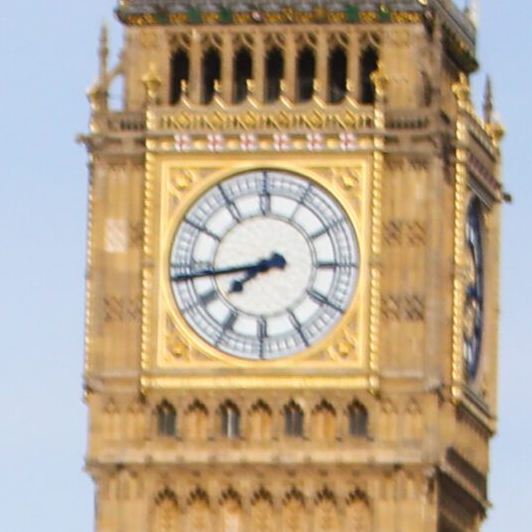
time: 7:43
